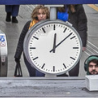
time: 12:08
